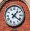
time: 1:21
